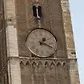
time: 1:18
